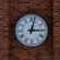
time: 3:02
